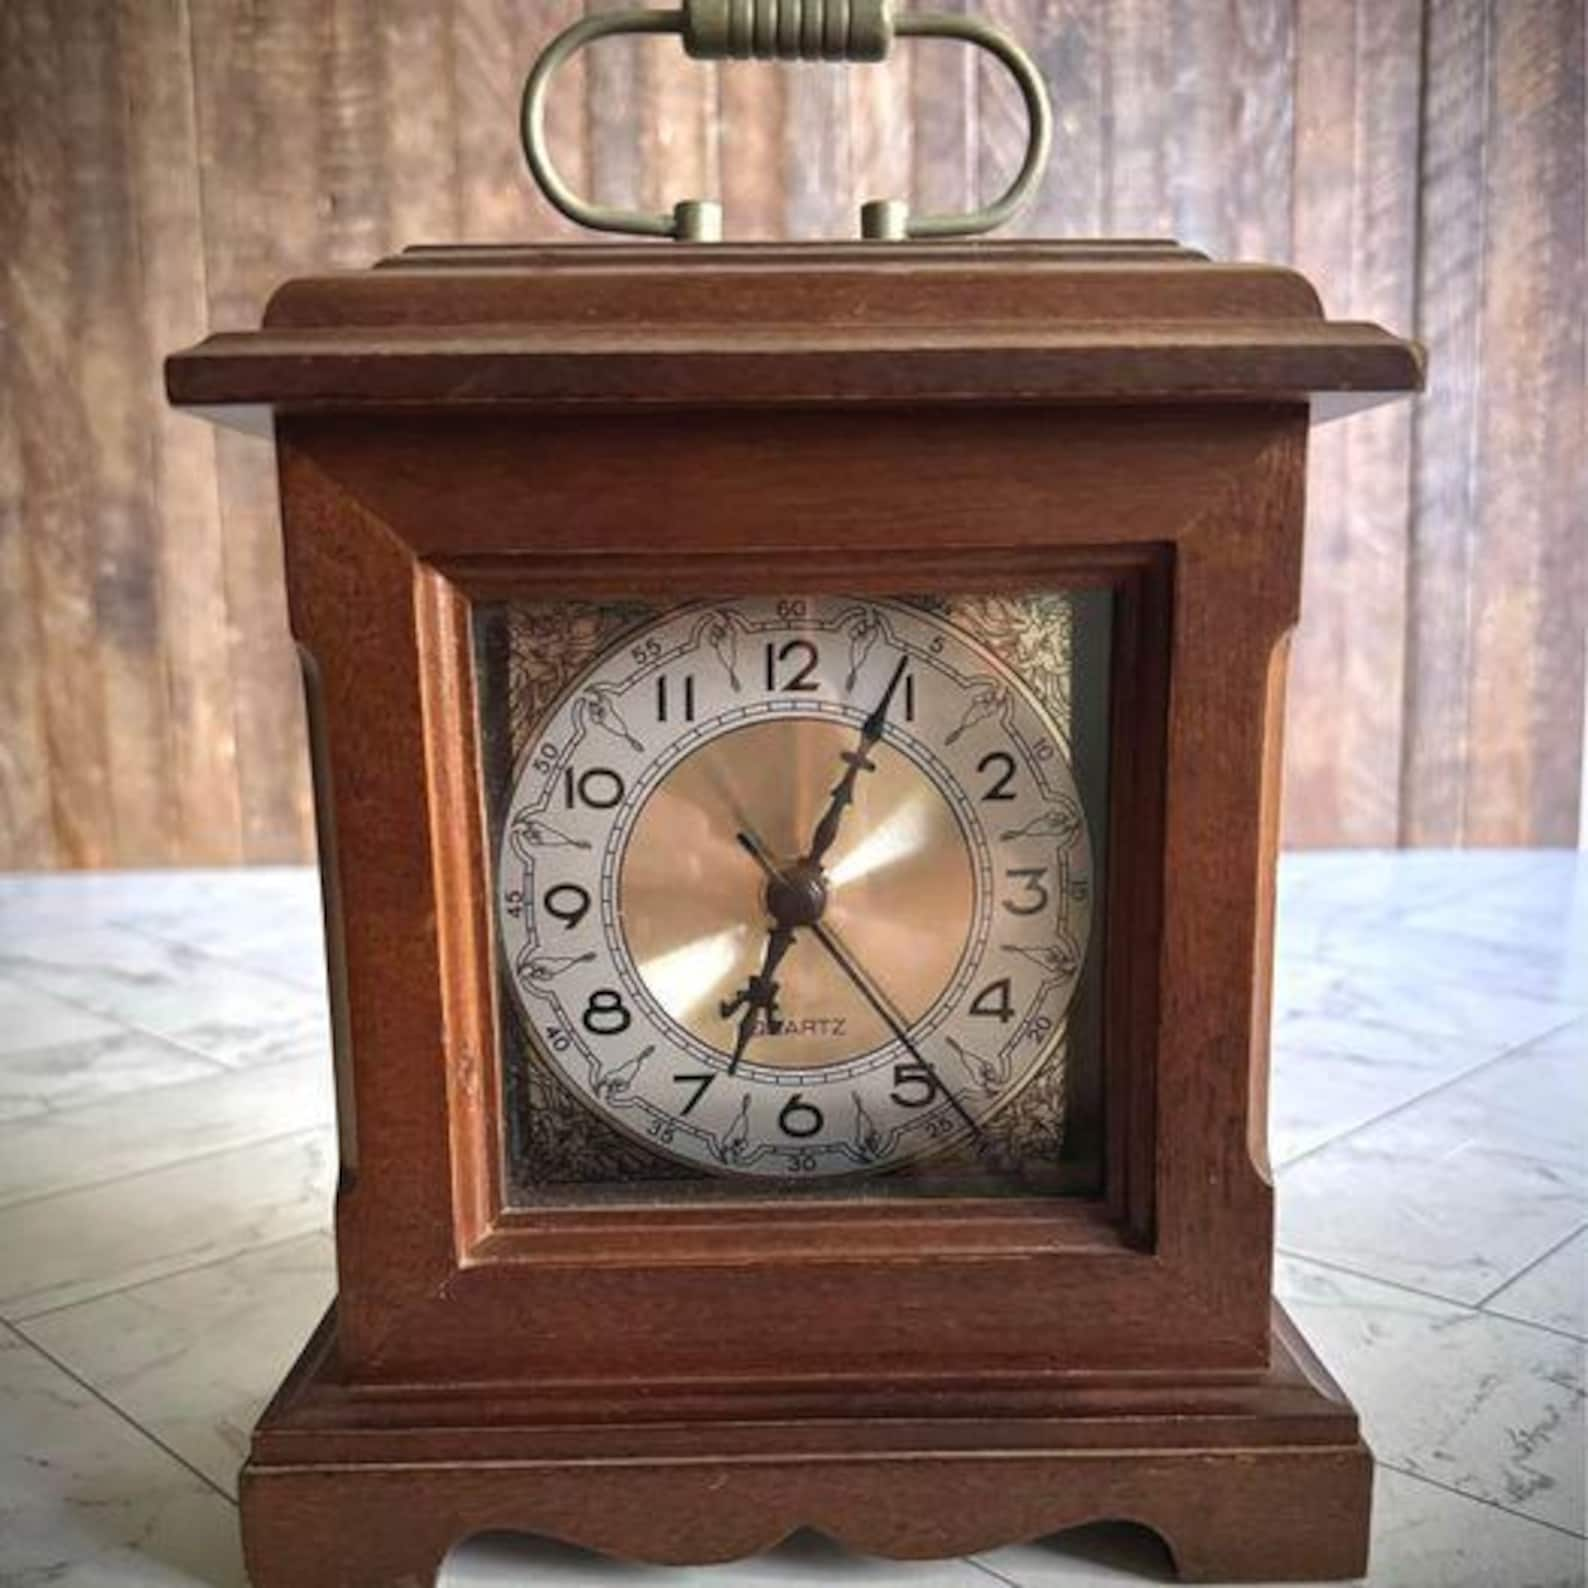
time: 7:04
